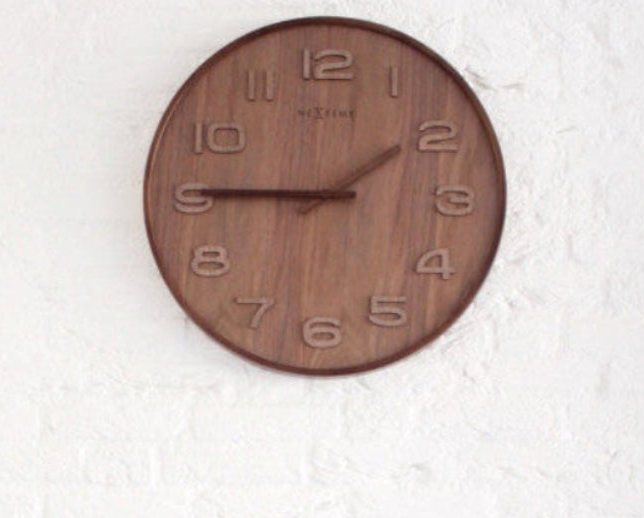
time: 1:45
